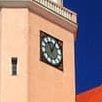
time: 11:04
